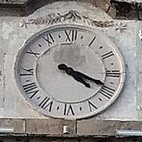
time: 4:18
